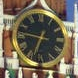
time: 6:46
